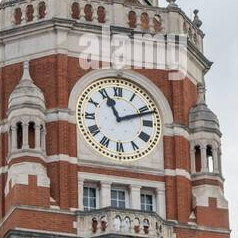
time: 11:11
